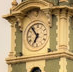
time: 6:53
